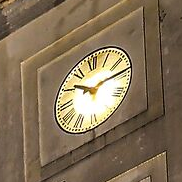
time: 10:14
